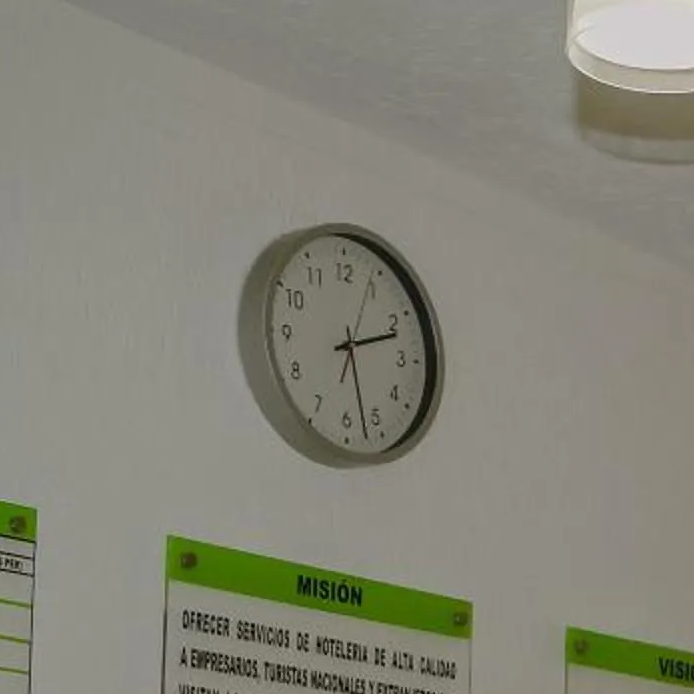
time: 2:27
